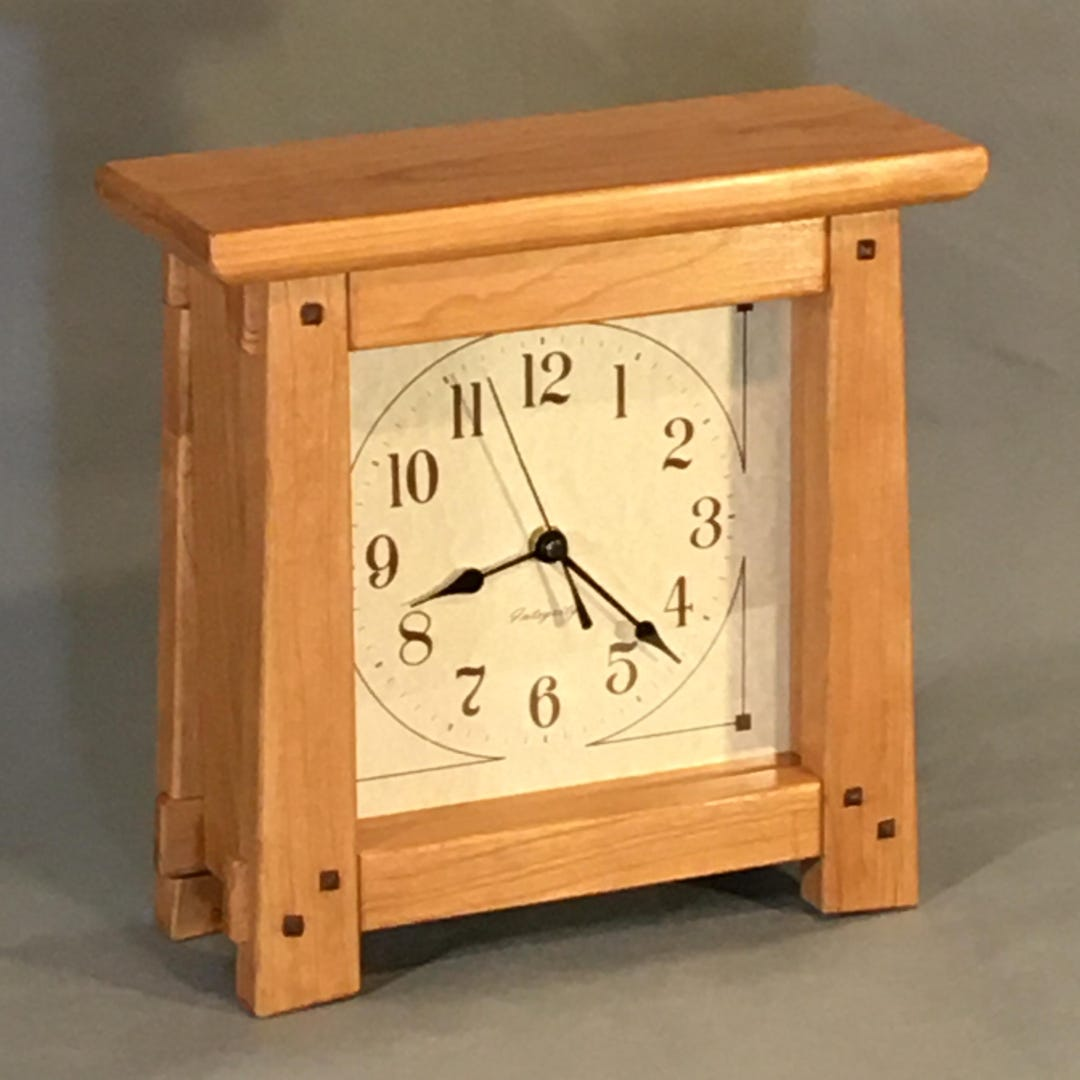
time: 8:21
